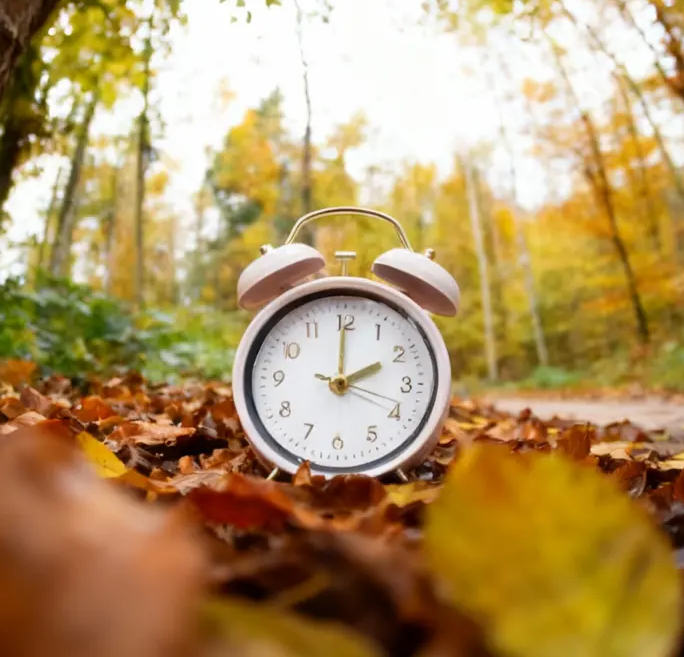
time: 2:00
